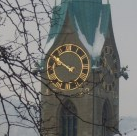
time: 9:50
